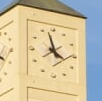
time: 3:57
